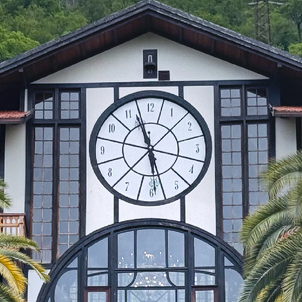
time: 5:56
